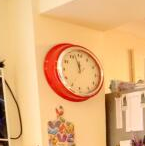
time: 11:57
